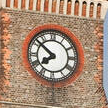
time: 7:51
